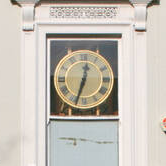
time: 12:33
